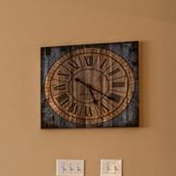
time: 5:20
